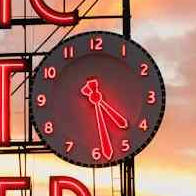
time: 4:28
